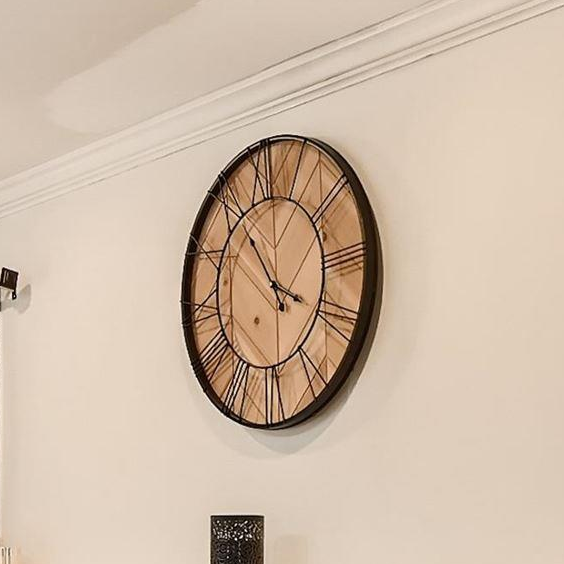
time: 3:55
